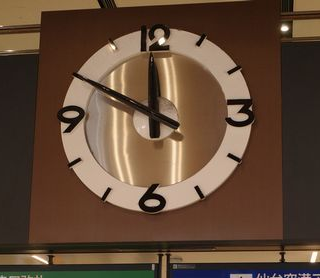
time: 11:49
